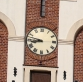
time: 8:47
